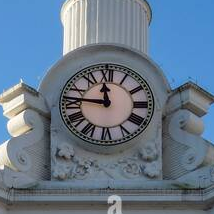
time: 11:46
